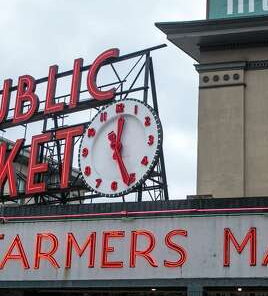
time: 12:26
